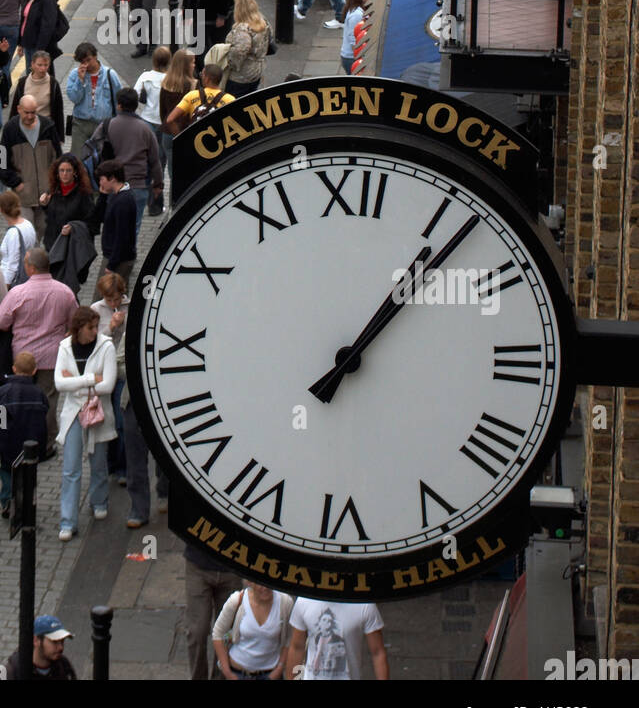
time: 1:06
